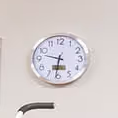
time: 9:31
